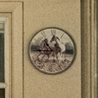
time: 10:45
